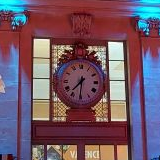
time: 7:31
